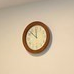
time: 11:52
